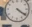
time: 4:20
